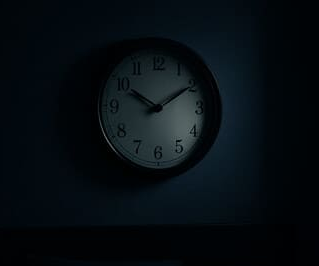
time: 10:09
